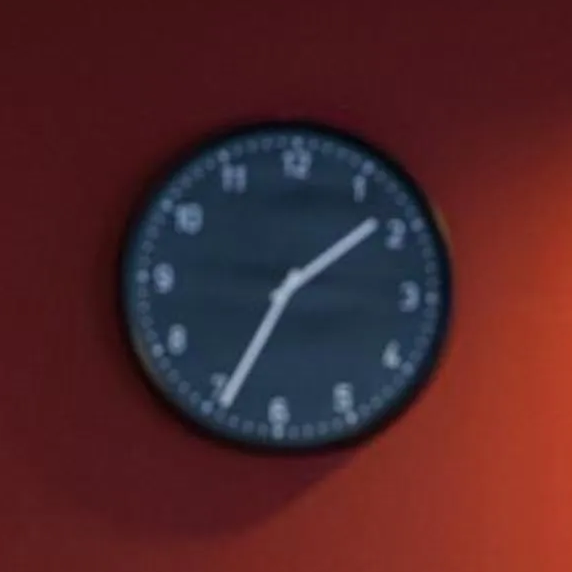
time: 1:34
